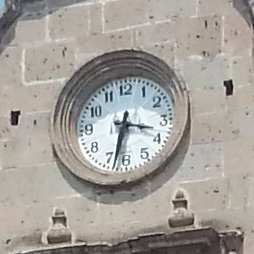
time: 3:32
